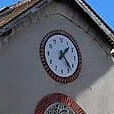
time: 1:23
